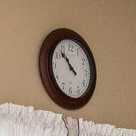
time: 3:52
